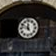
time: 11:47
